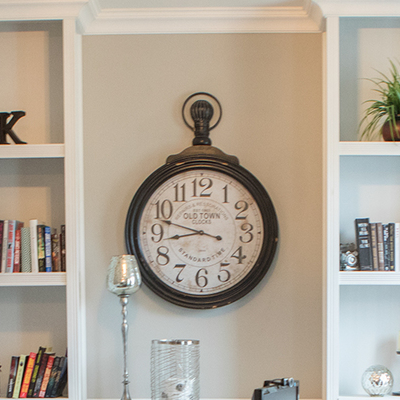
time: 8:47
